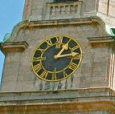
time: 1:13
